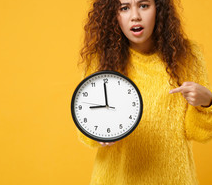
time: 8:59
